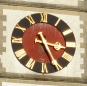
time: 3:25
